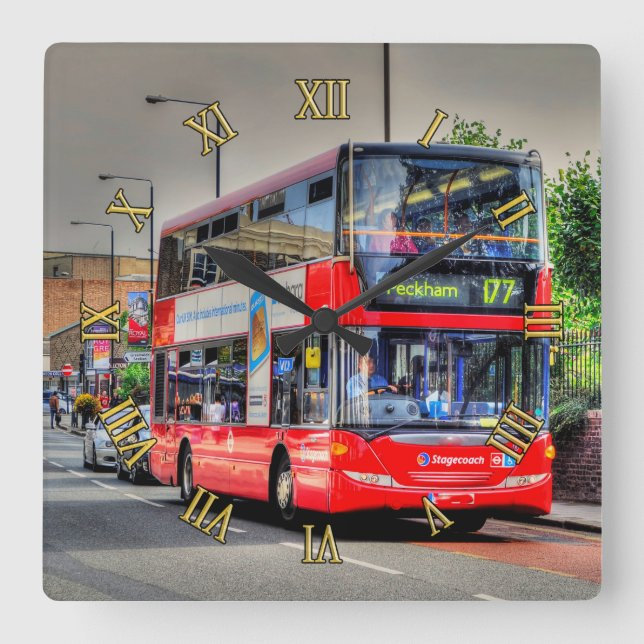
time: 10:14
